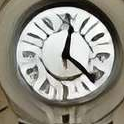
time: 12:21
